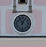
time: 11:04
